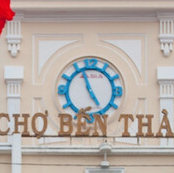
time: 4:56
